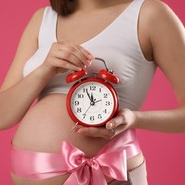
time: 11:55
